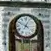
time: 12:49
